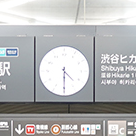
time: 4:29
